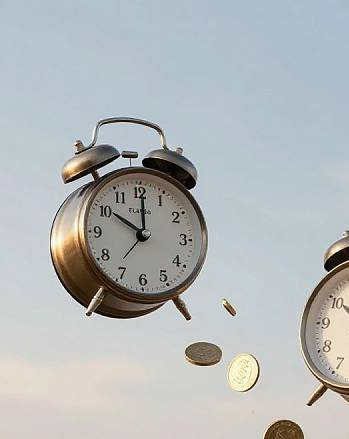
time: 10:00
